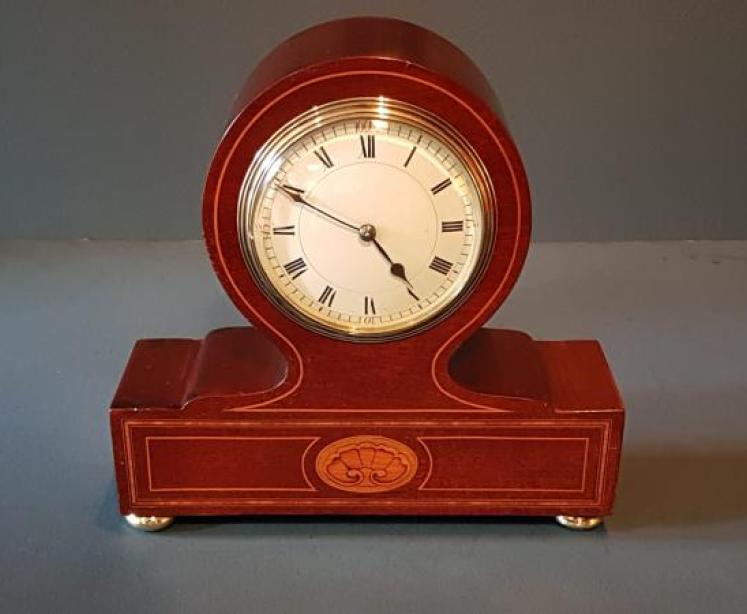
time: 4:49
